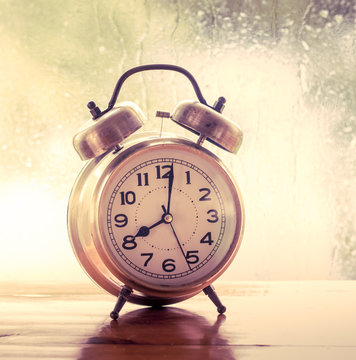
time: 8:01
